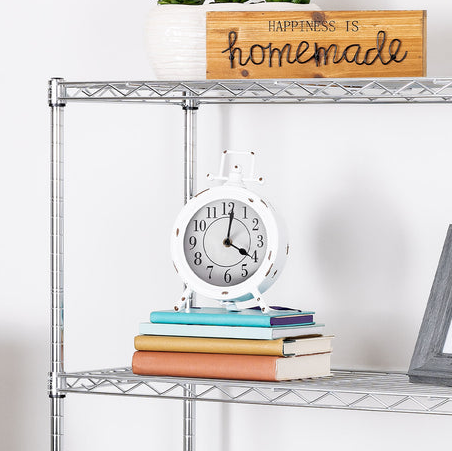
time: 4:01
